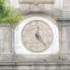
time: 12:23
